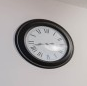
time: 2:42
